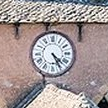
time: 4:25
